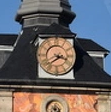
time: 3:38
